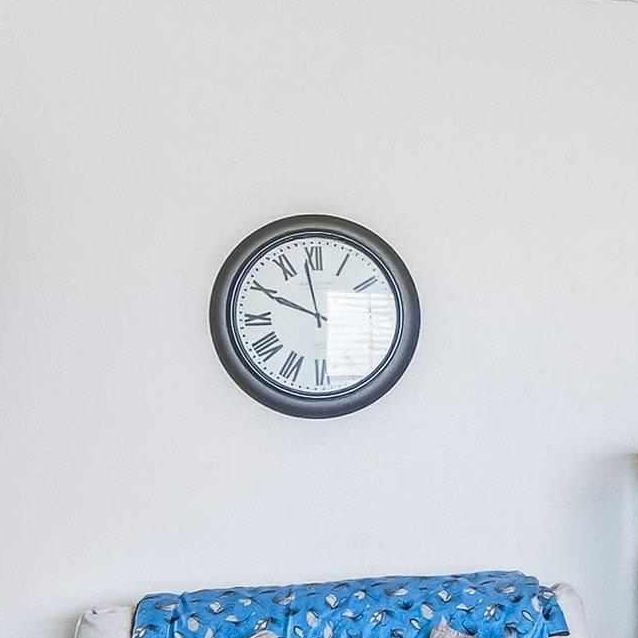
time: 9:58
